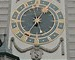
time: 5:35
